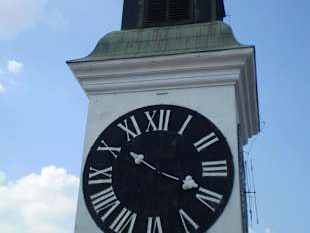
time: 10:18
